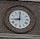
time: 9:00
